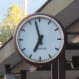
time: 6:57
